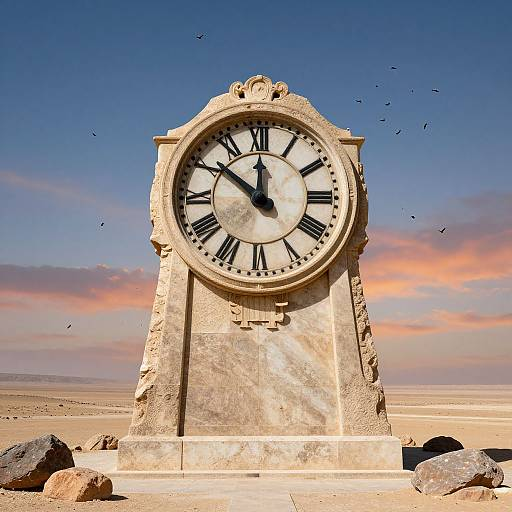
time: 11:50
